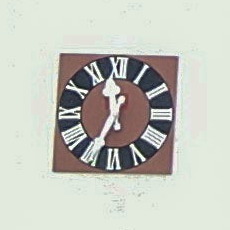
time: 11:34
